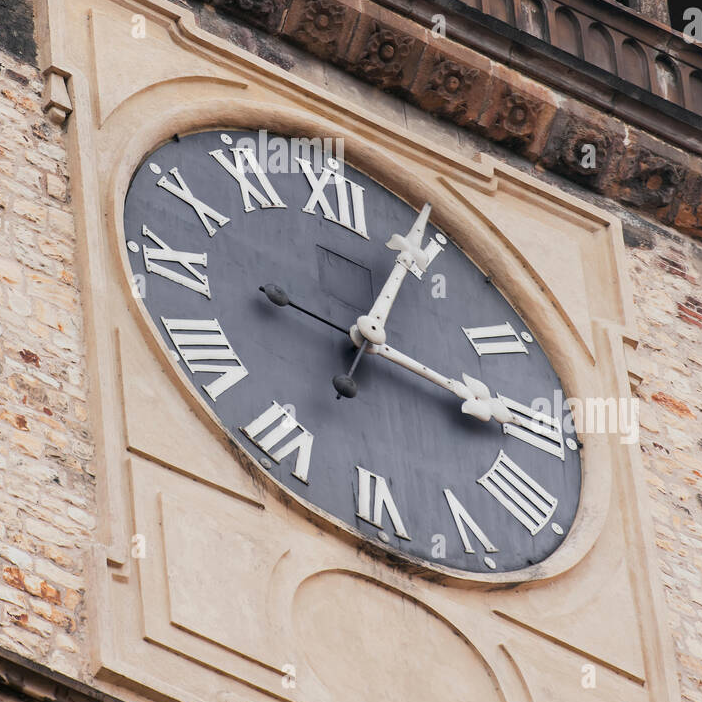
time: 3:04
